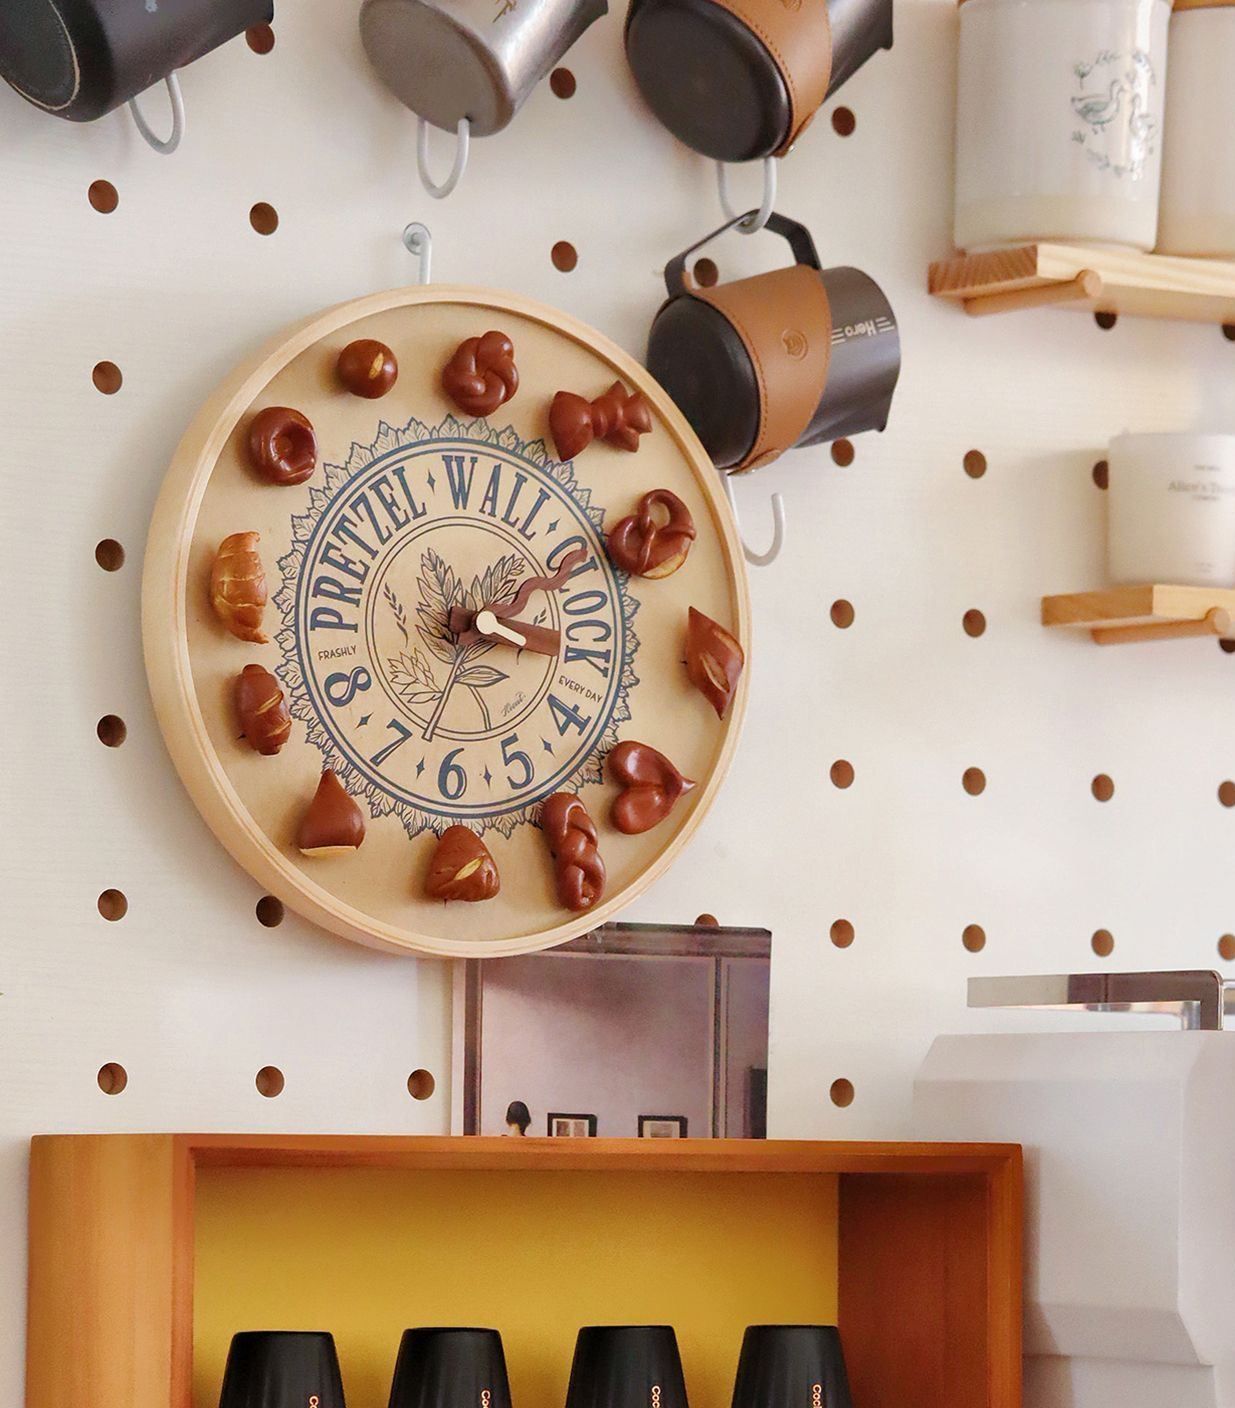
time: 3:09
